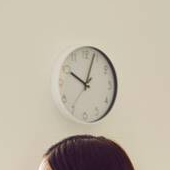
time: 10:03
